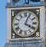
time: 4:03
